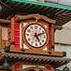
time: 5:11
